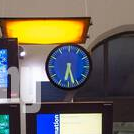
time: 6:27
